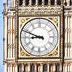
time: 8:48
